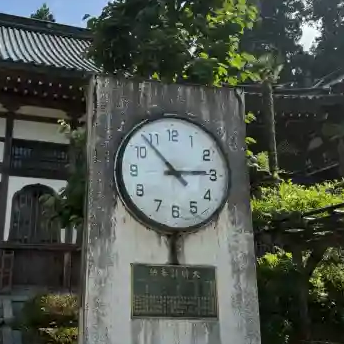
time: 2:53
